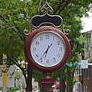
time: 6:36
